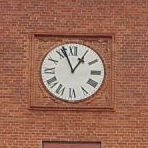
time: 12:56
